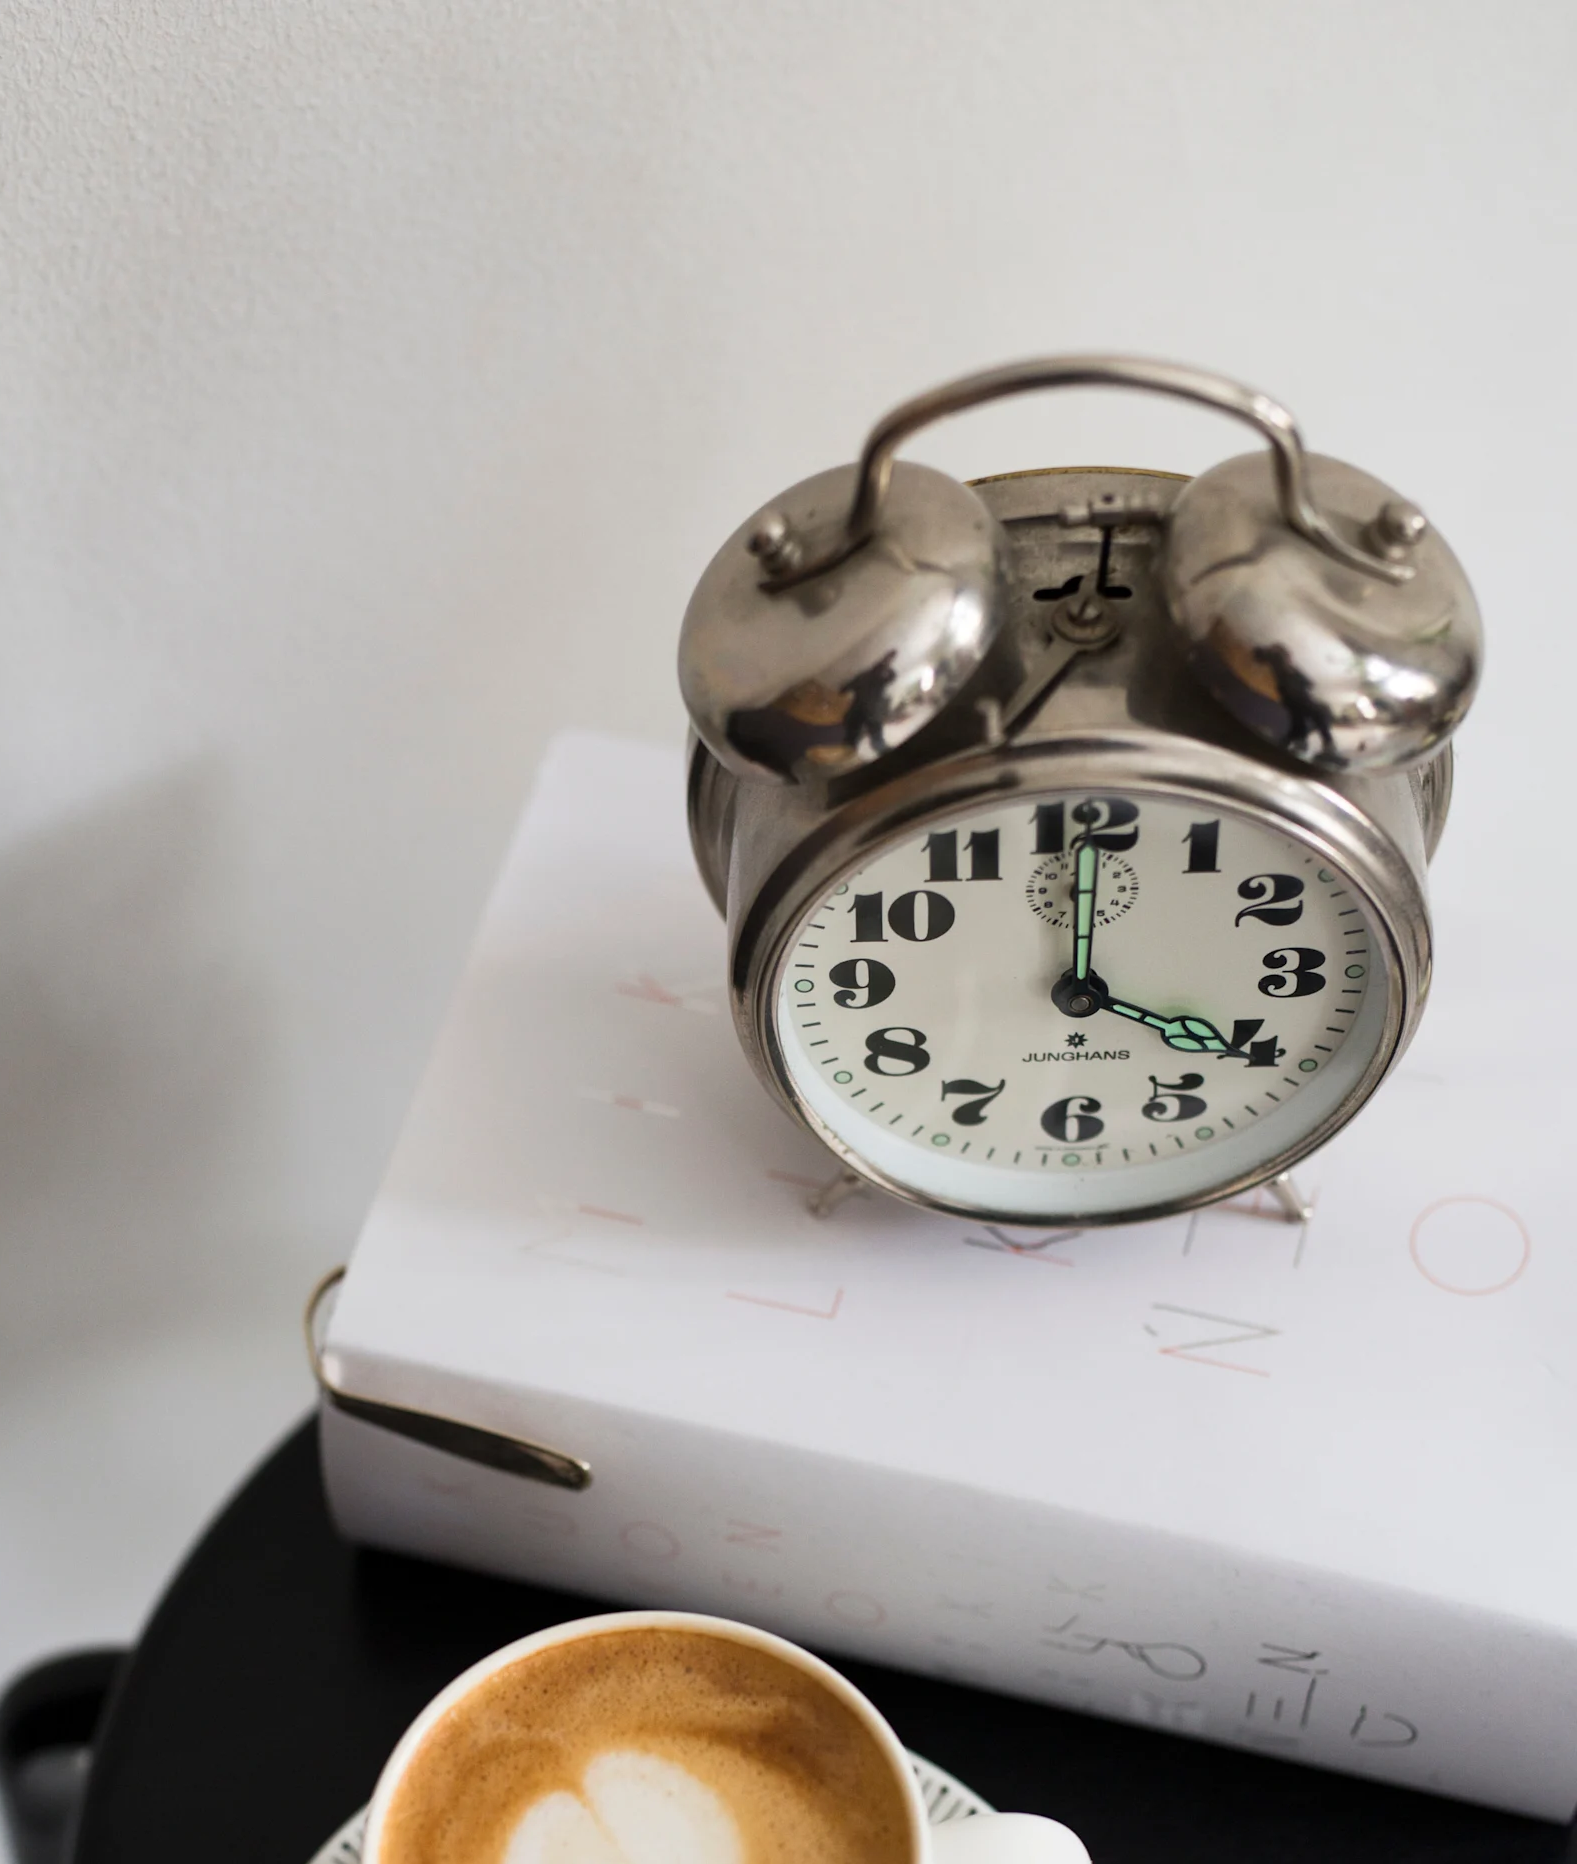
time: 4:00
